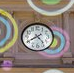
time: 4:40
